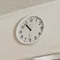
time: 10:53
